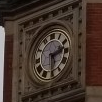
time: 2:29
